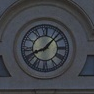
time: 8:07
